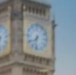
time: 7:32
